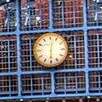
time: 6:01
